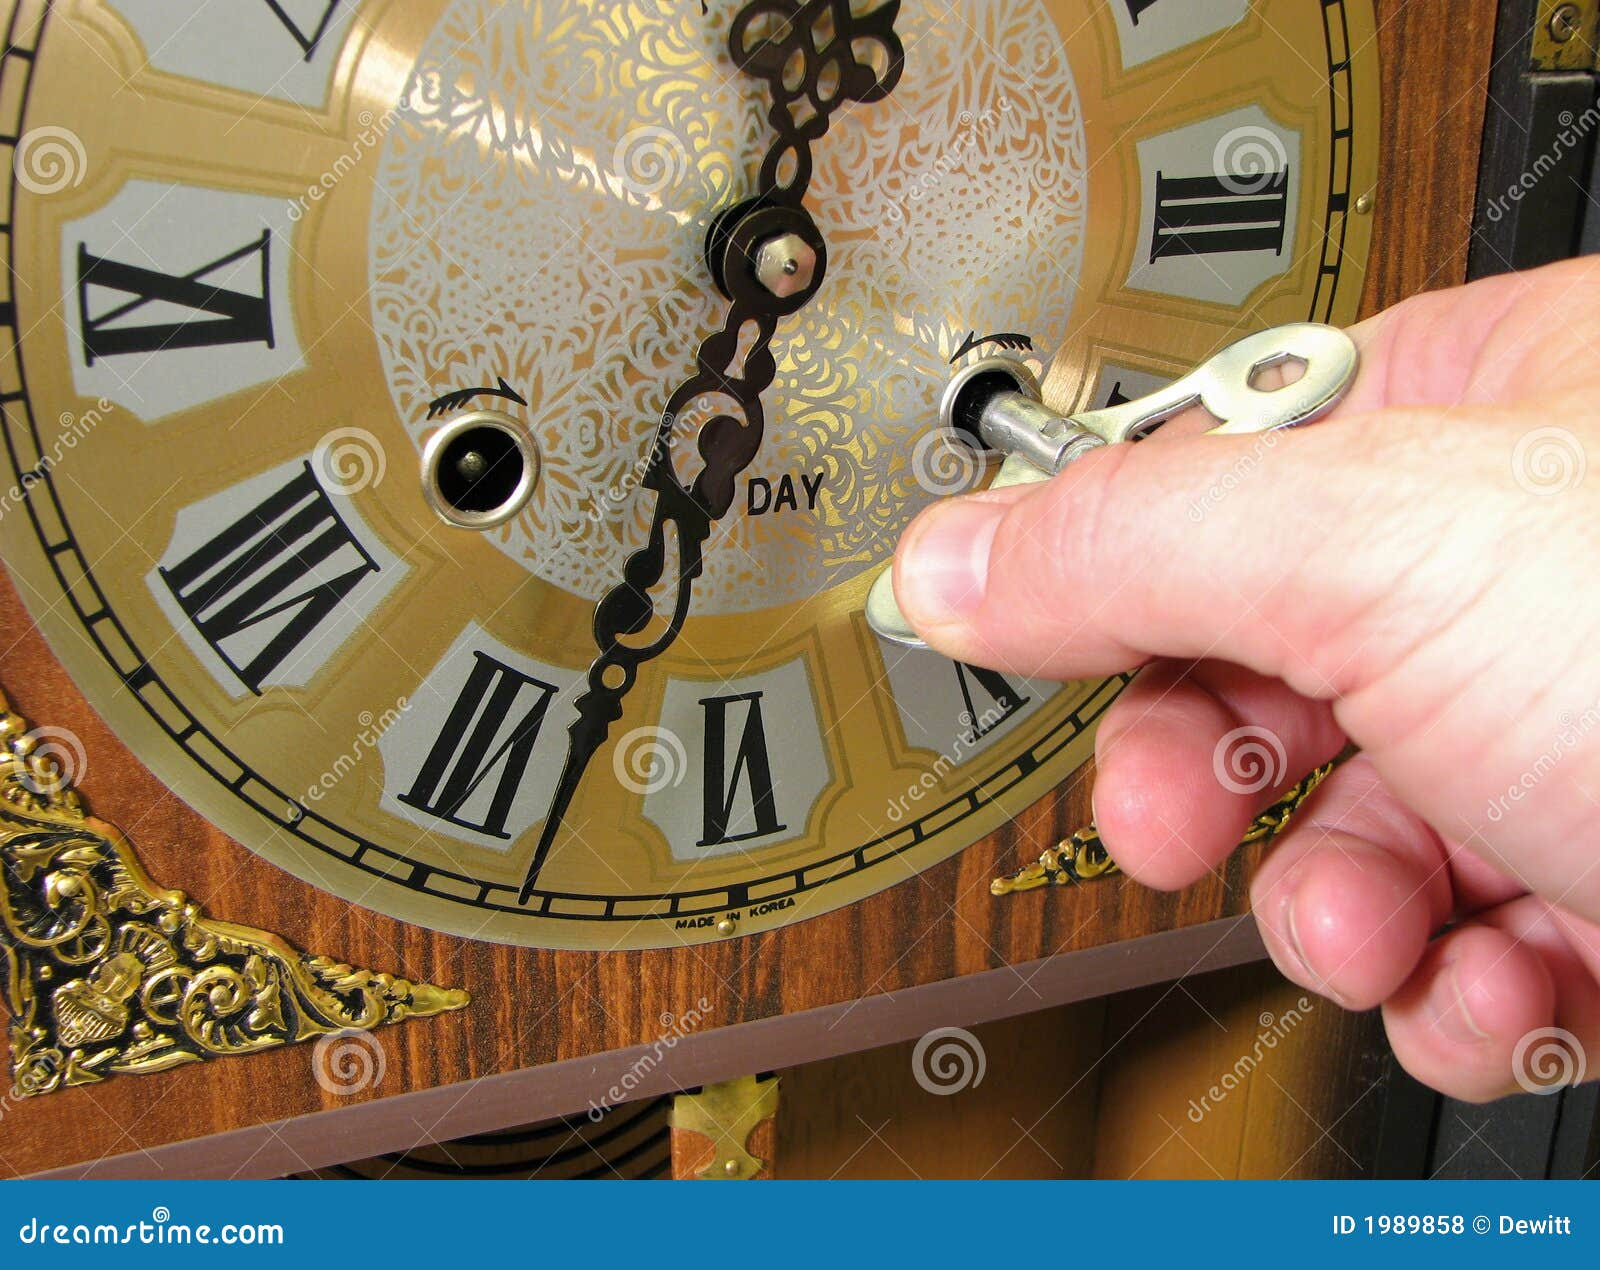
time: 12:33
